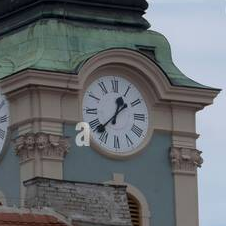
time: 12:37
